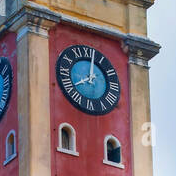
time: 8:01
